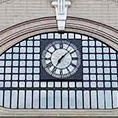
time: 7:08
